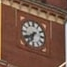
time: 6:38
